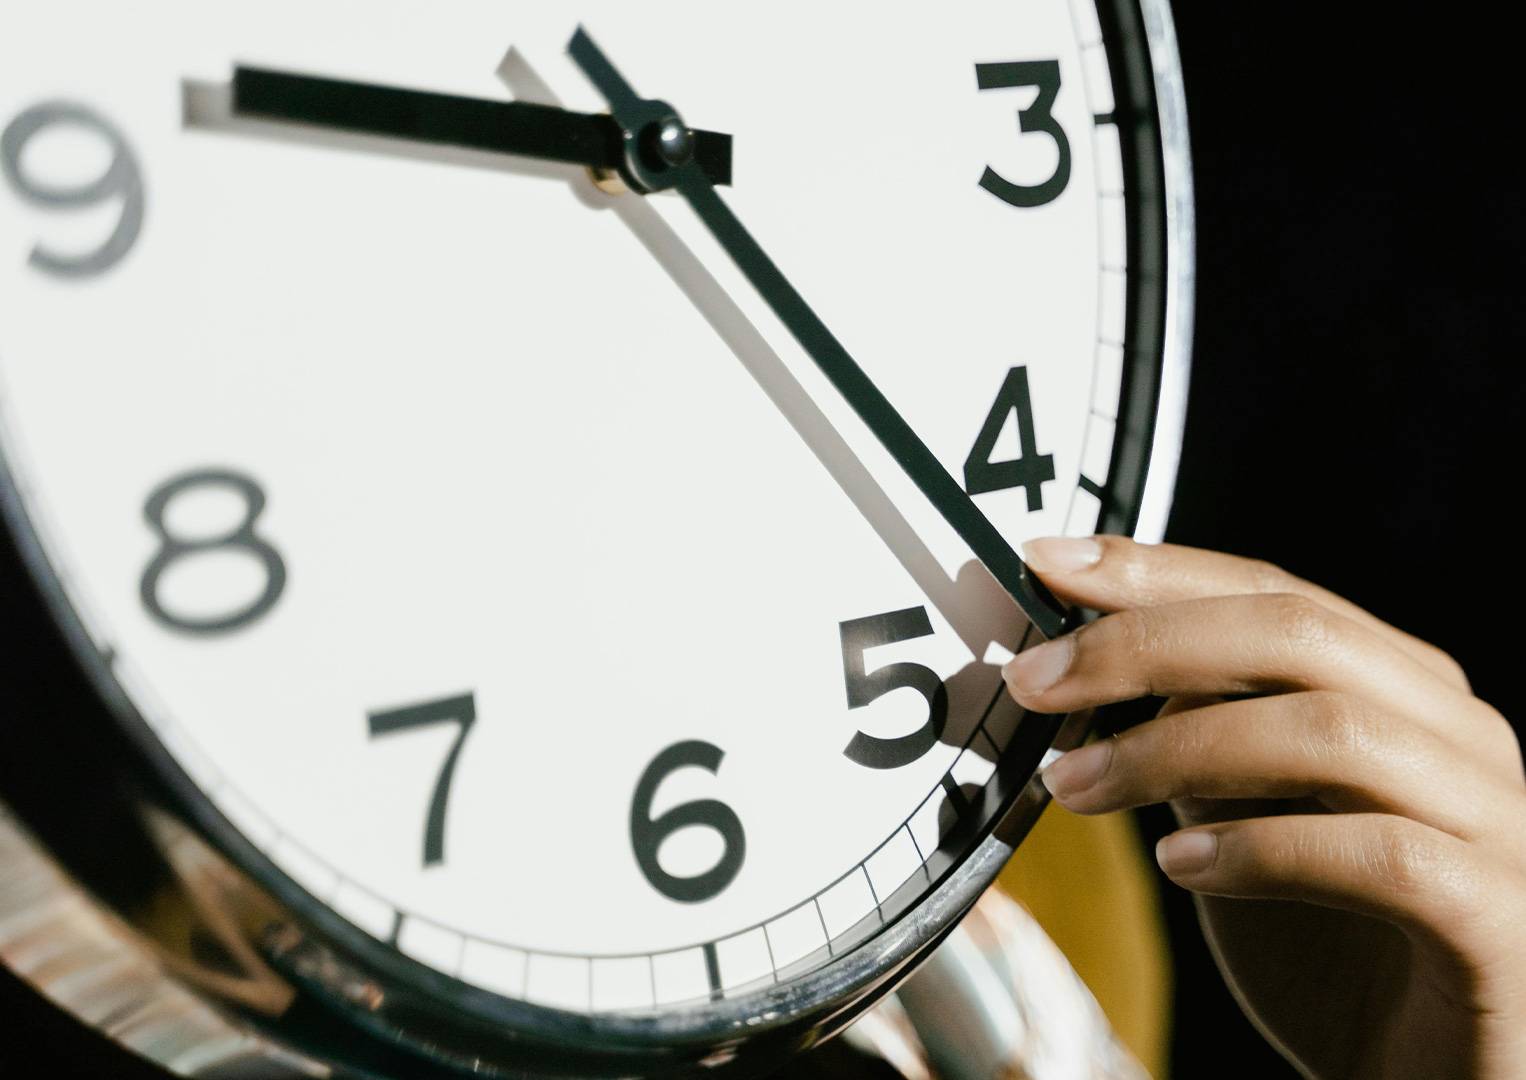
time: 9:22
